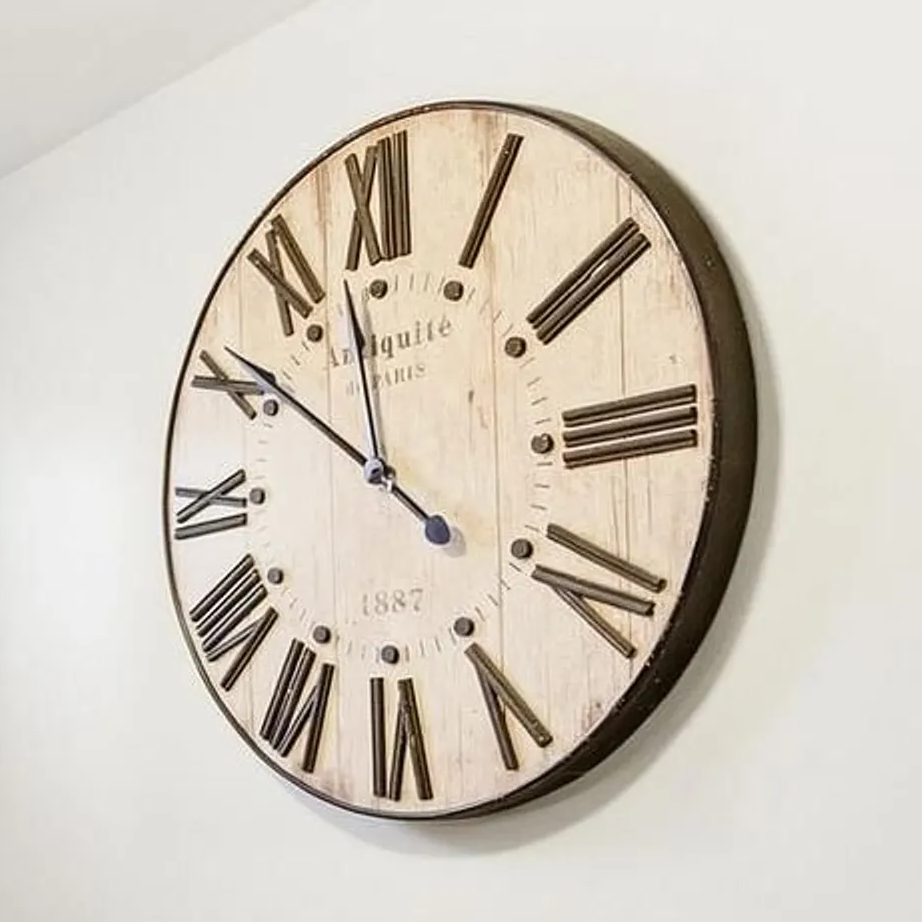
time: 11:51
